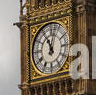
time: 11:02
